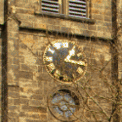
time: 1:16
